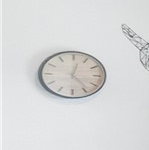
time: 12:23
